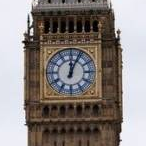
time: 12:04
